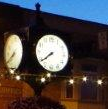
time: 7:38
